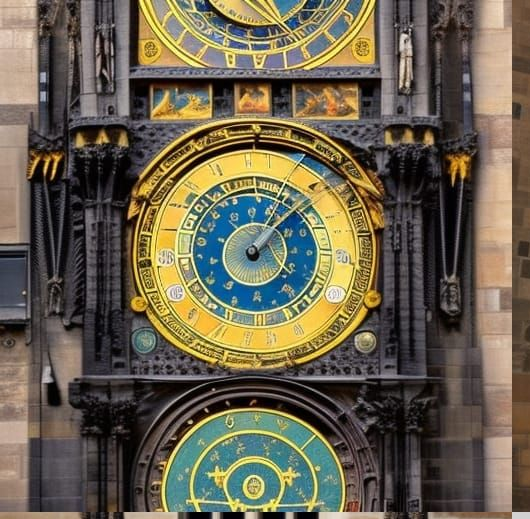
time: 1:07
